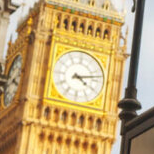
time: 4:12
